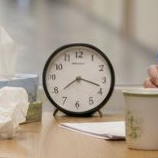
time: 3:38
